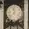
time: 11:37
